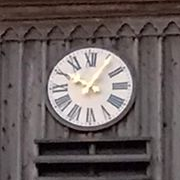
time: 10:05
